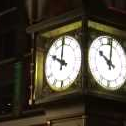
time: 10:00
